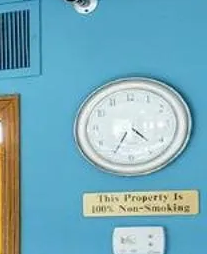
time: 4:34
